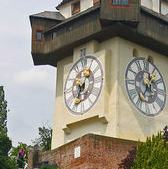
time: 7:04
